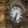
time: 6:34
